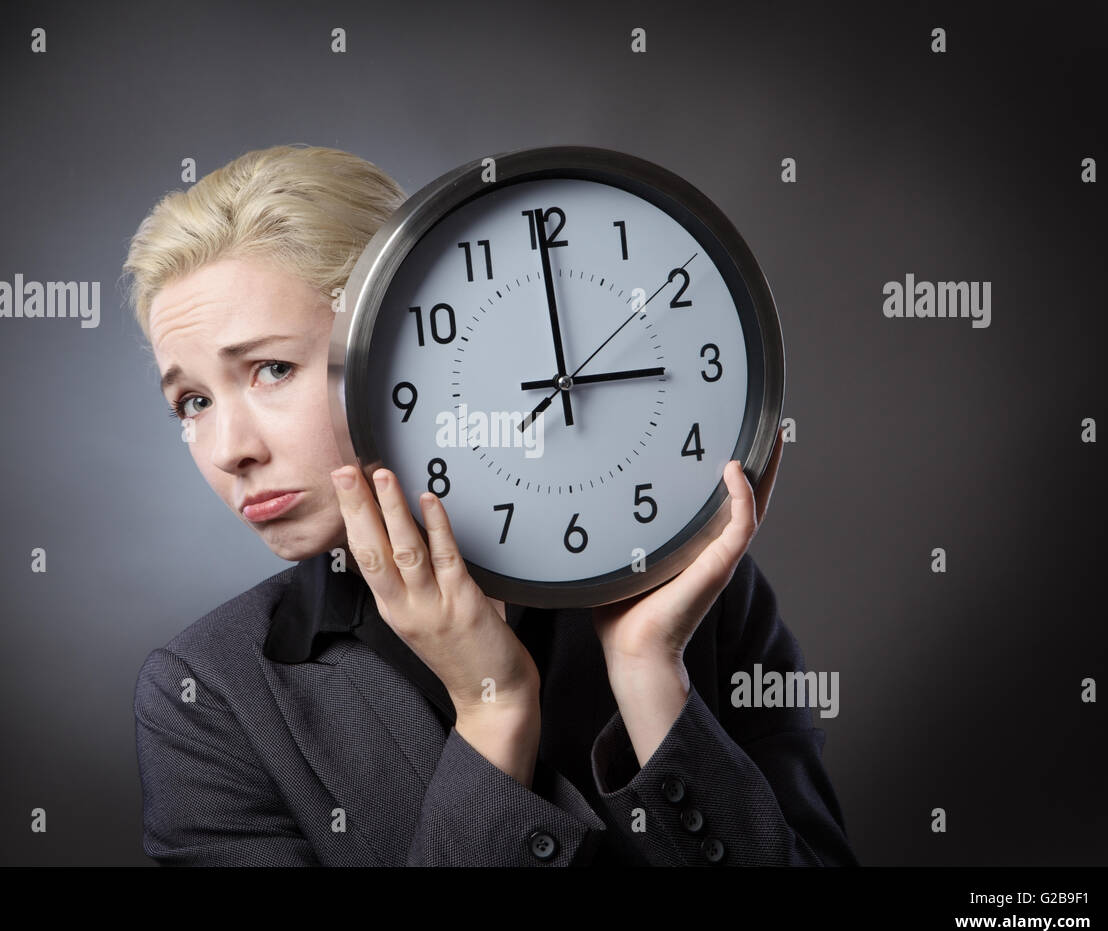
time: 2:59
